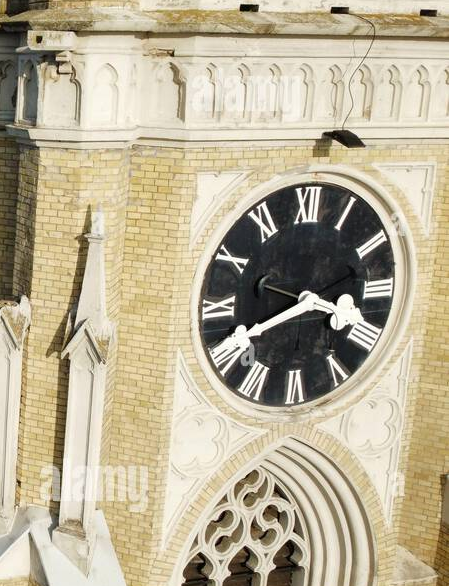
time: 3:41
